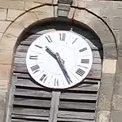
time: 10:24
